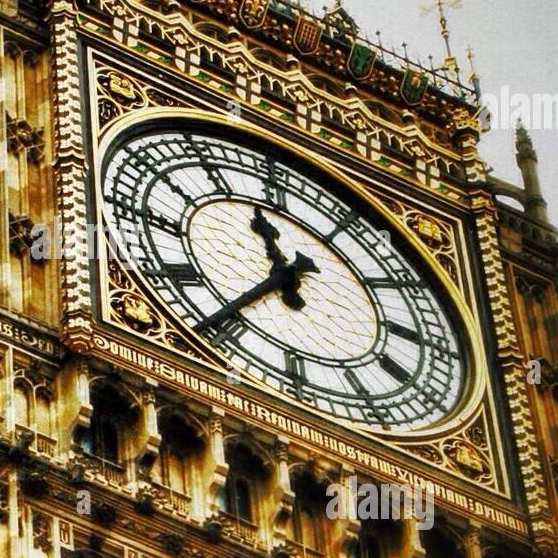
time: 11:35
